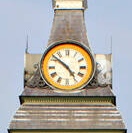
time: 4:51
